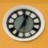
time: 12:35
